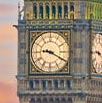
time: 9:19
